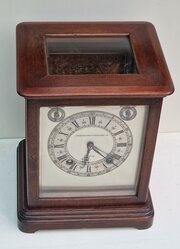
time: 6:21
